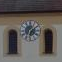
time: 6:08
